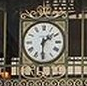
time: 1:30
